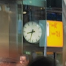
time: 8:33
